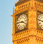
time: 3:45
